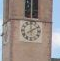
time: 12:09
